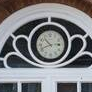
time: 10:41
